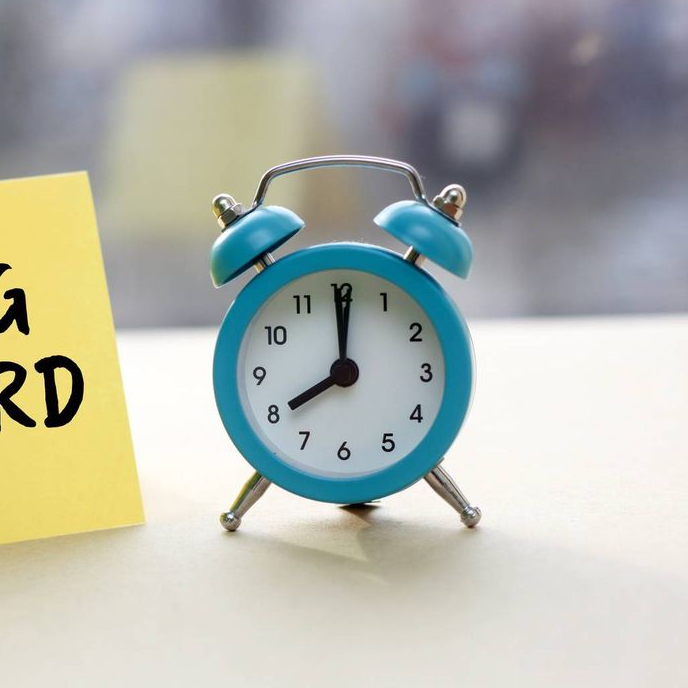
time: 8:00
